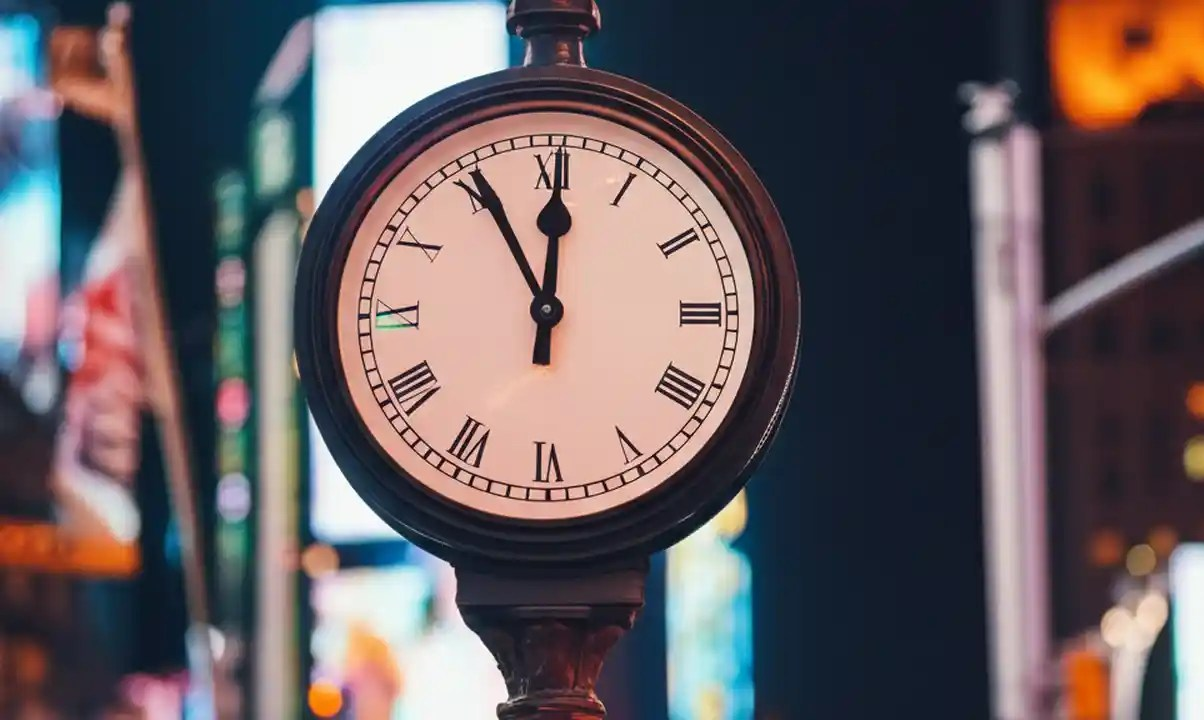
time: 11:00
